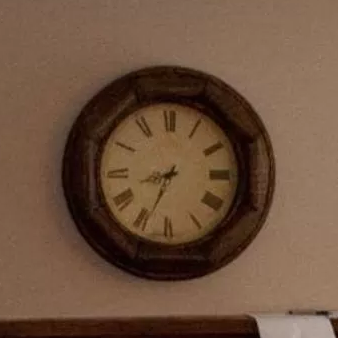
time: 8:34
